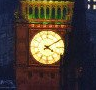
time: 4:09
